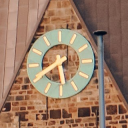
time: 5:40
